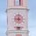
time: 9:01
